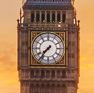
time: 7:36
